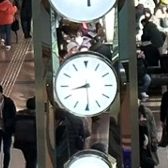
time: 8:29
